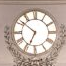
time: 6:51
